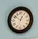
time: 12:51
